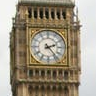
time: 2:23
